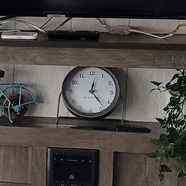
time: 12:23
